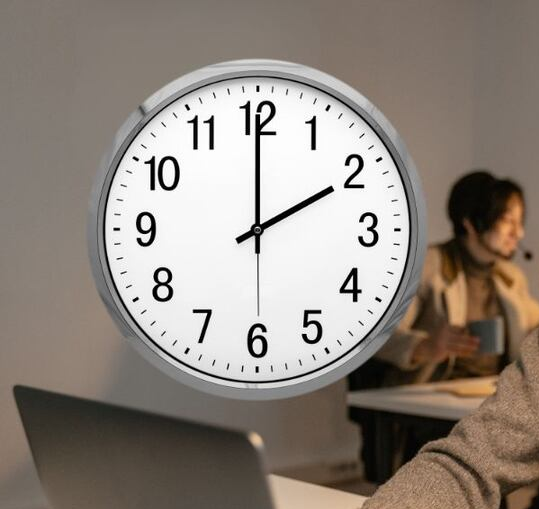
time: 2:00
